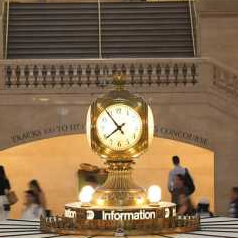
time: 7:53
